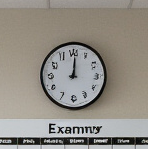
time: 12:00
